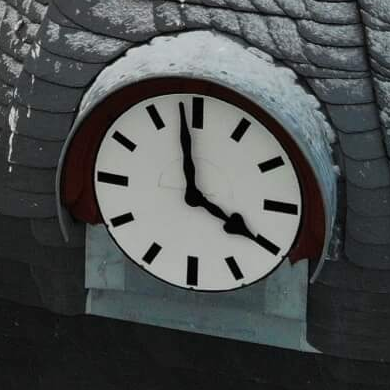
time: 3:58
